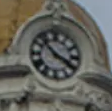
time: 3:52
